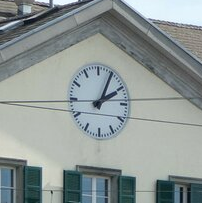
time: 2:04
